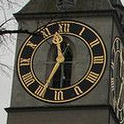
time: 11:34
